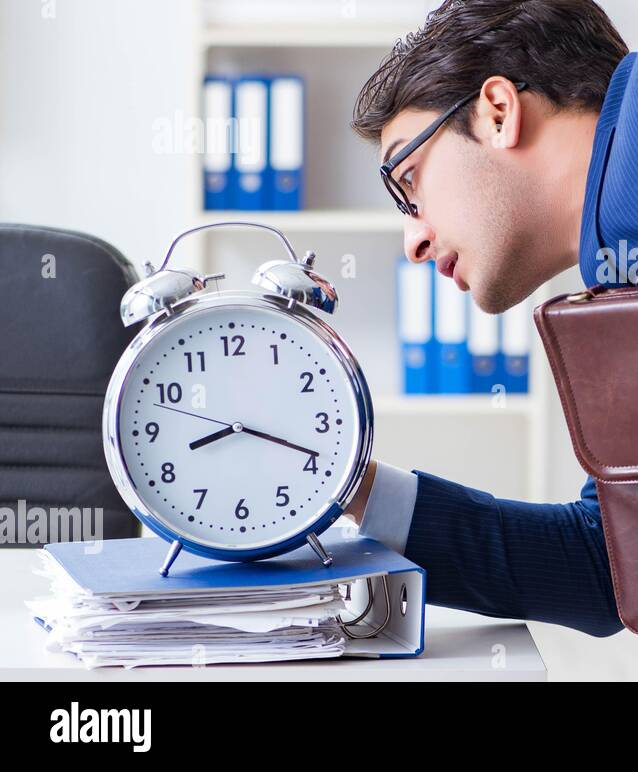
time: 8:18
